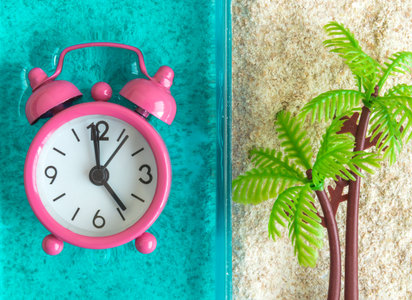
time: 4:59
